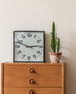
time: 2:48
